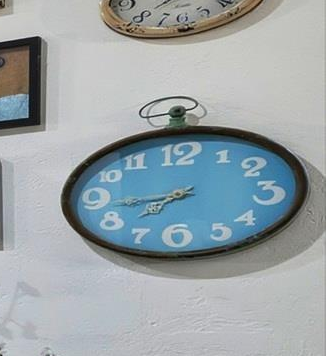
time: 7:43
